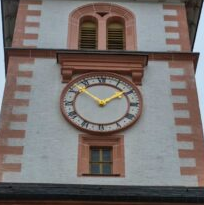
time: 1:52
